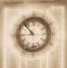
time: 8:53
